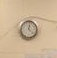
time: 12:22
